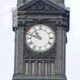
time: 10:48
